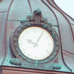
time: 10:05
